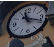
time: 11:18
